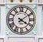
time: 4:09
